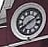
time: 8:11
